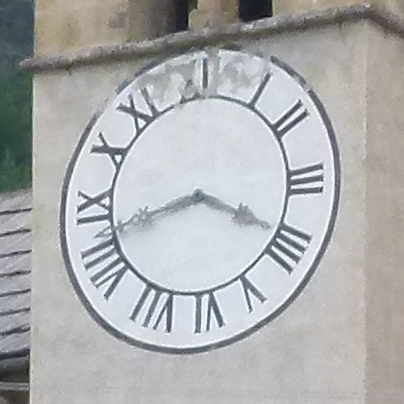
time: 3:42
